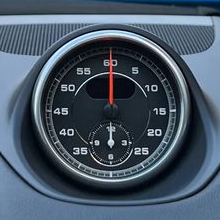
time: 6:00
